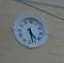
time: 4:27
